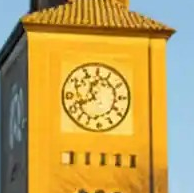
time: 7:55
